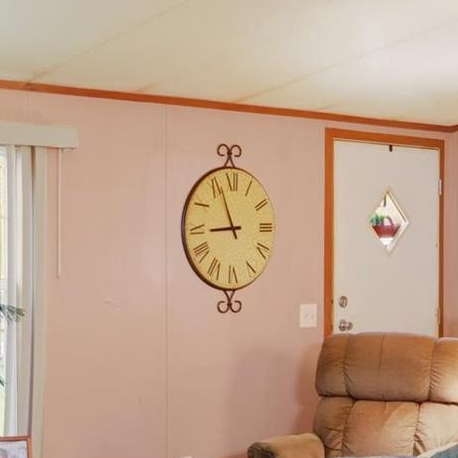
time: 8:56
